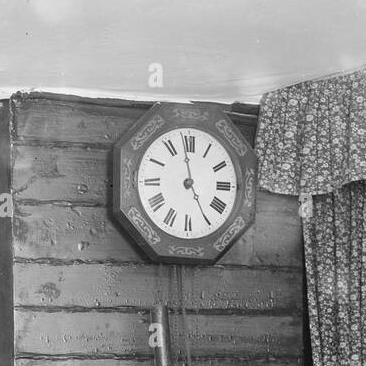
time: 4:58
